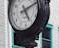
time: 5:11
